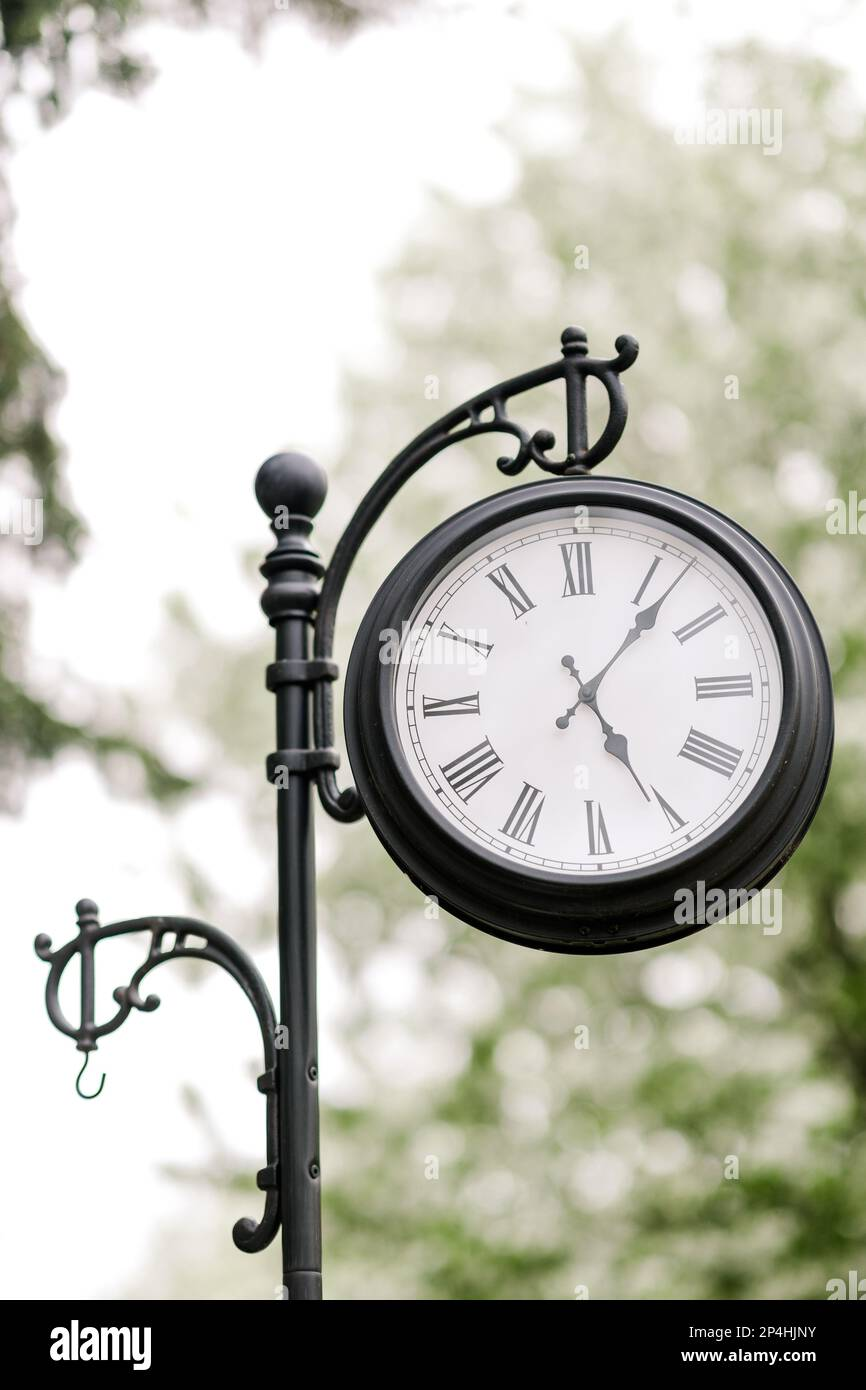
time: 5:06
